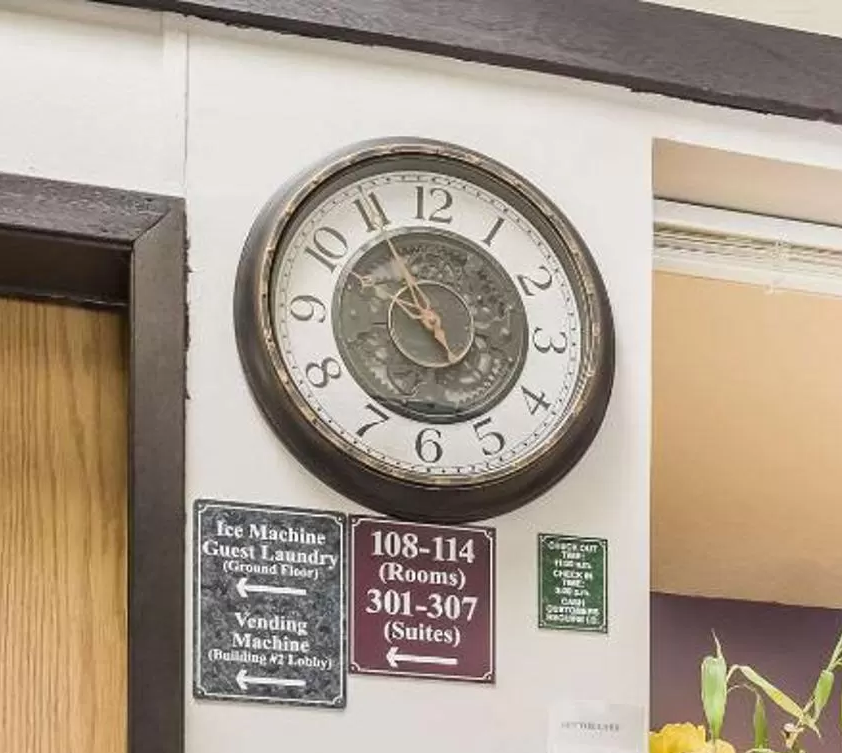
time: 9:54
